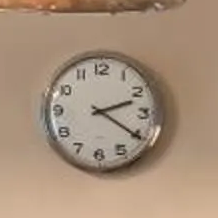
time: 2:20
